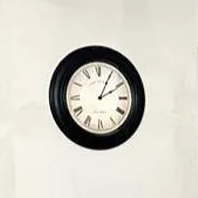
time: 2:04
